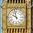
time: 9:57
